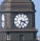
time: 3:32
